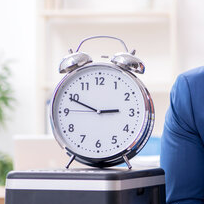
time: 2:49
